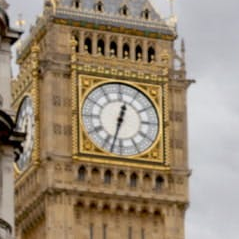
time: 12:32
